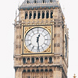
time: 12:28
